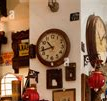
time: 10:42
